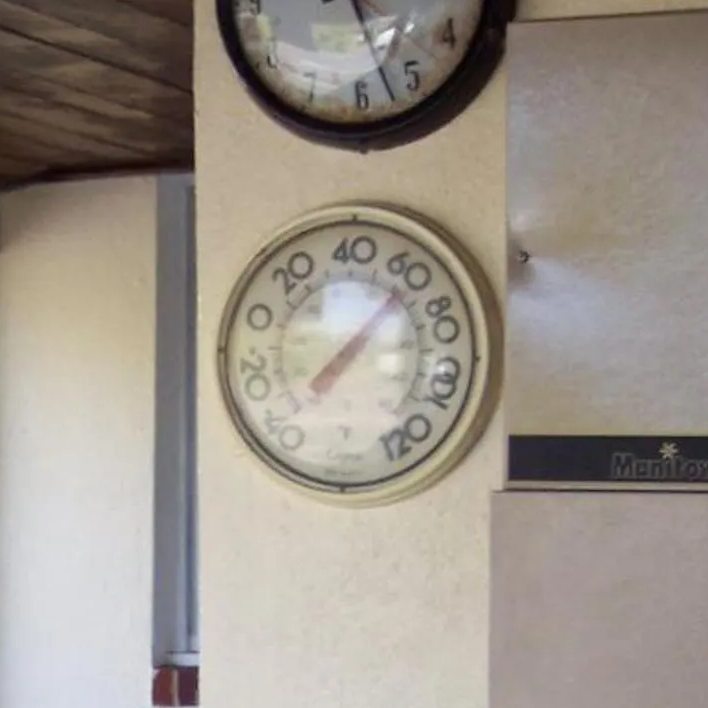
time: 8:07
